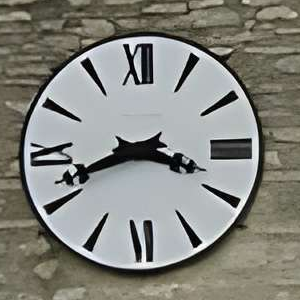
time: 3:41
